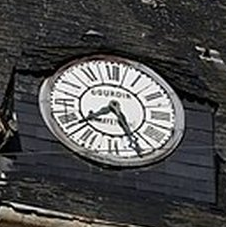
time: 7:25
